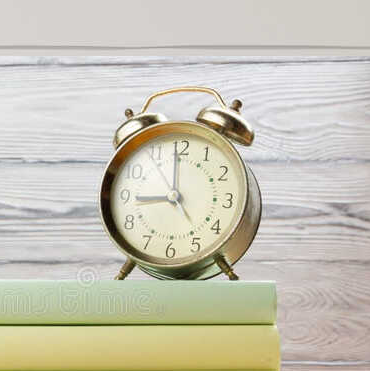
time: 8:59
